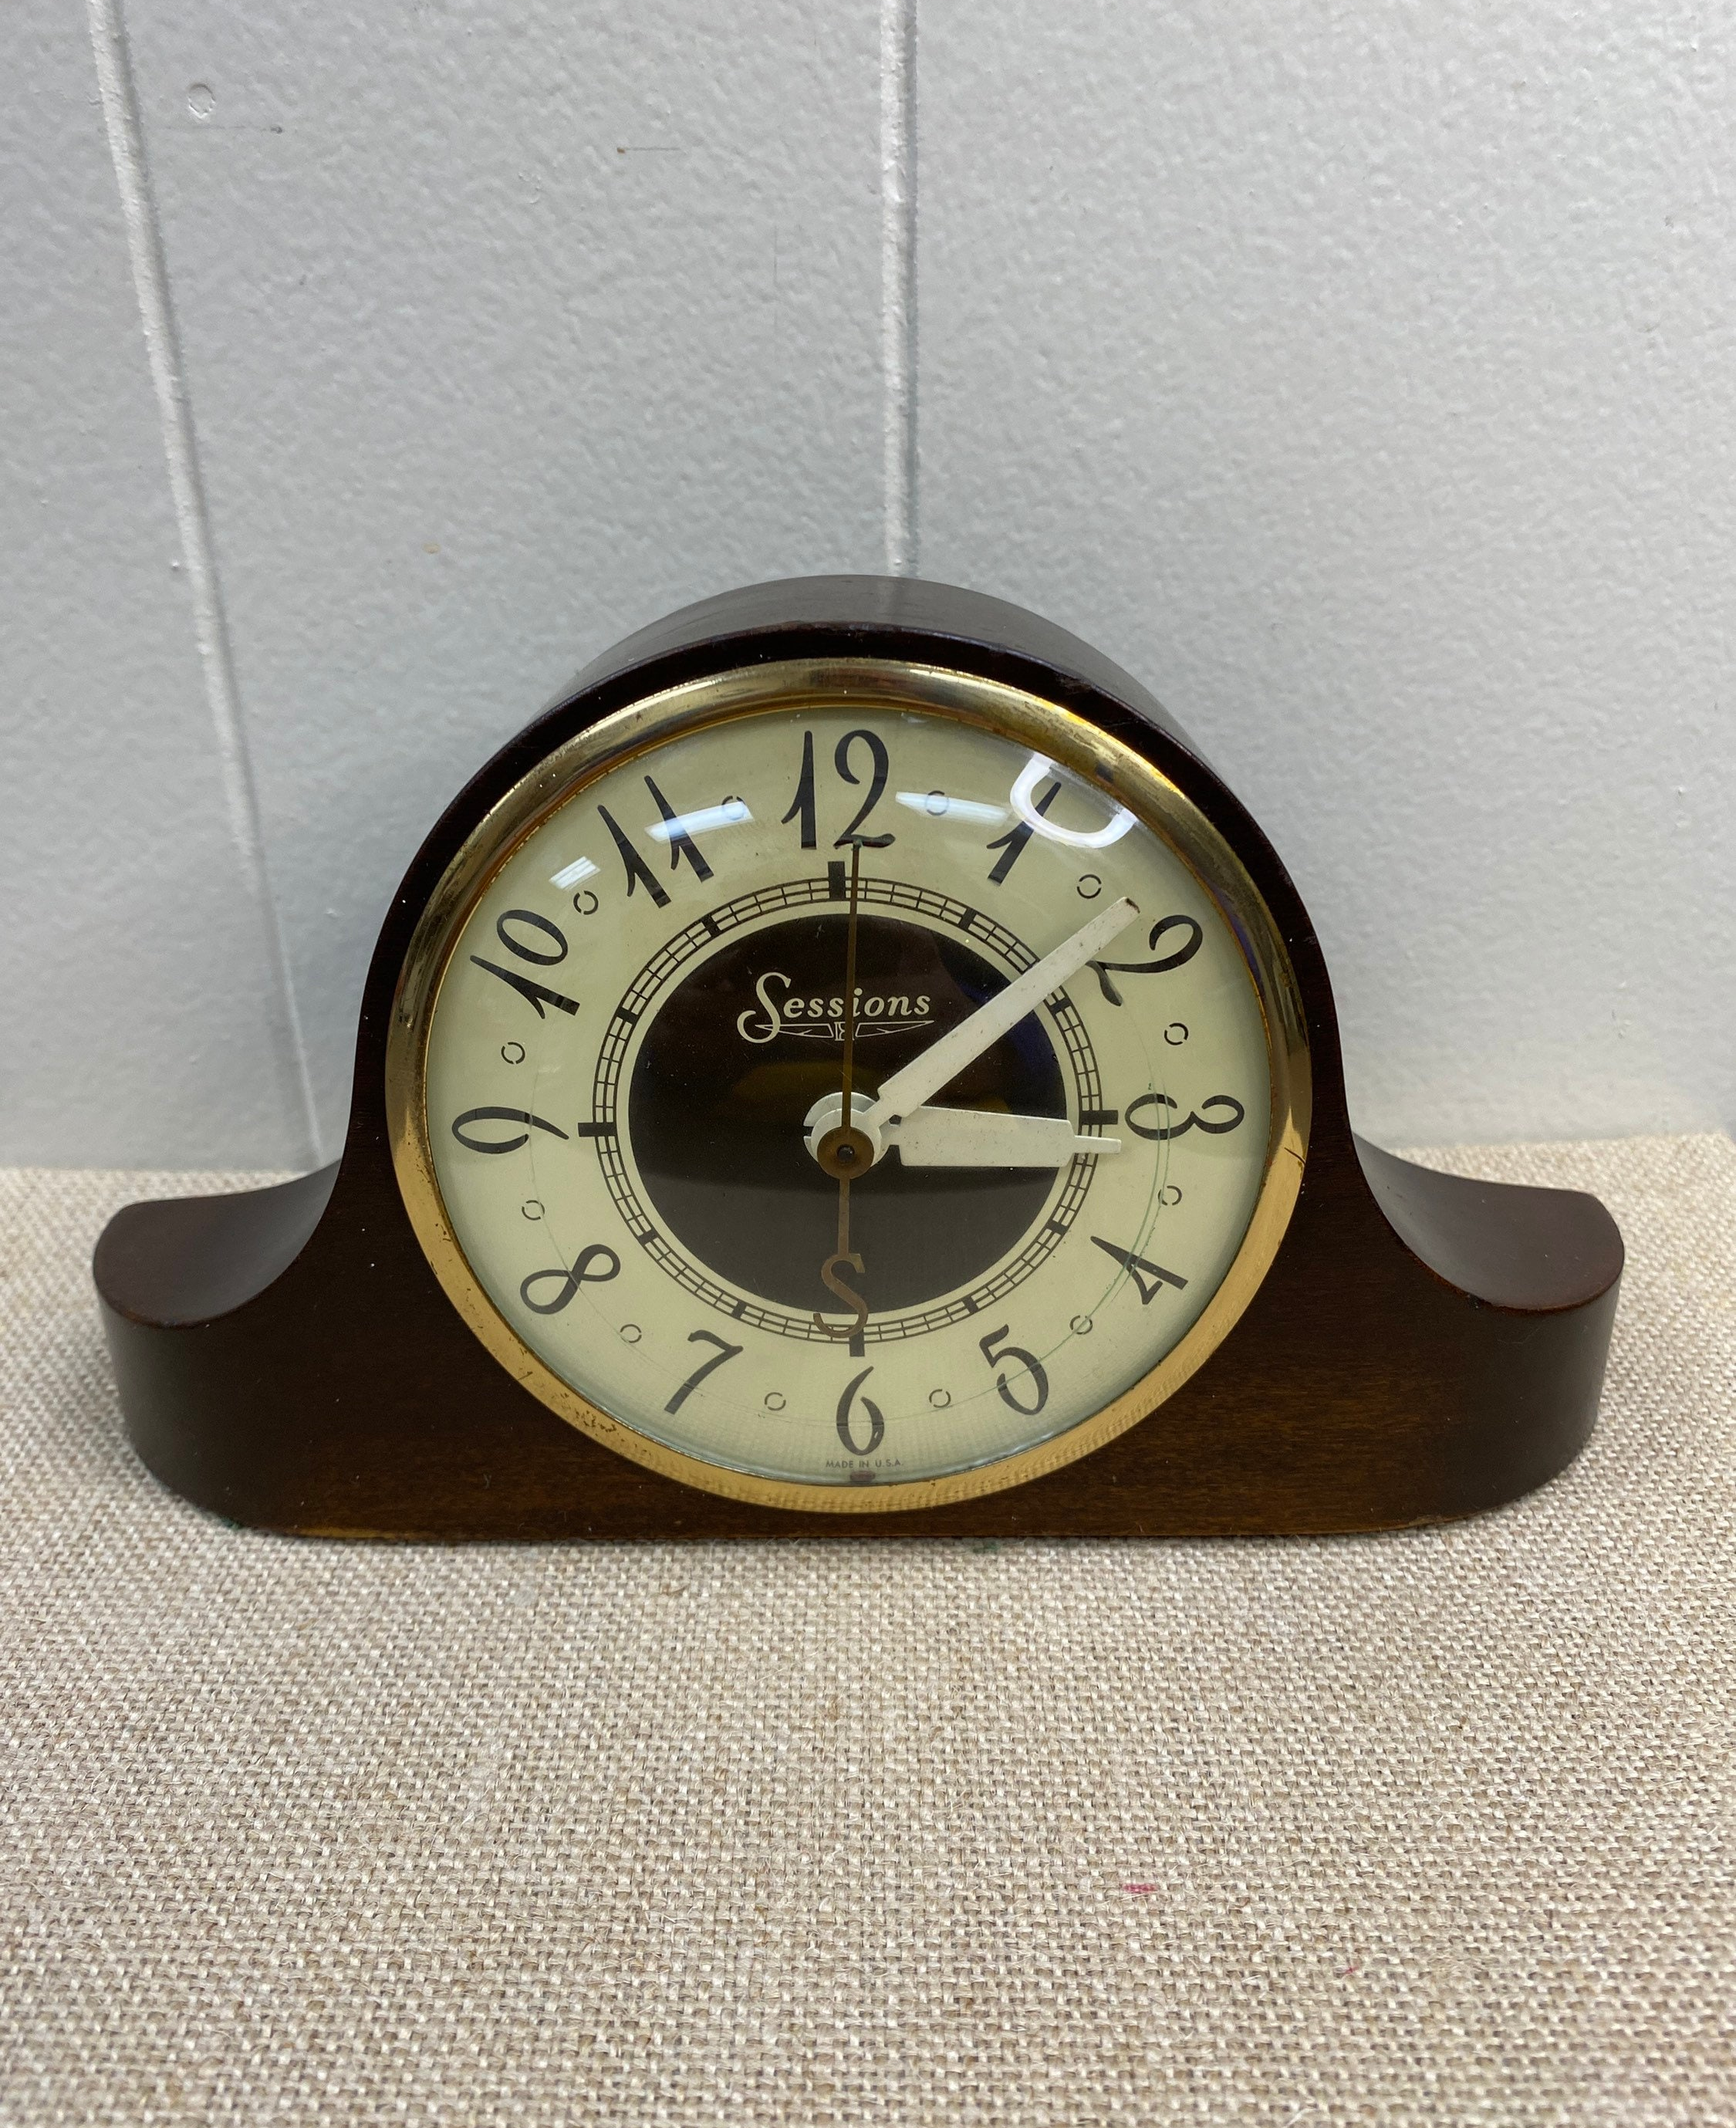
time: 3:08
